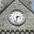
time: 2:32
